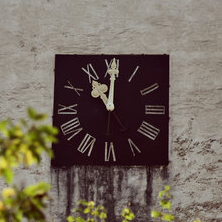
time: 11:00
